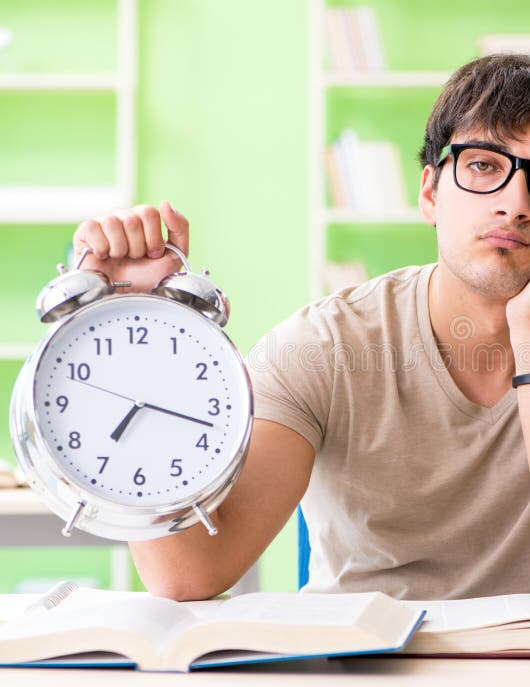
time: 7:17
